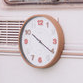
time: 10:20
